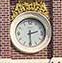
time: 2:29
